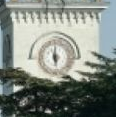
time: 5:59
